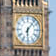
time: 6:06
